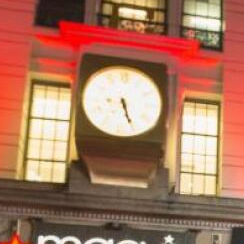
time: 5:26
